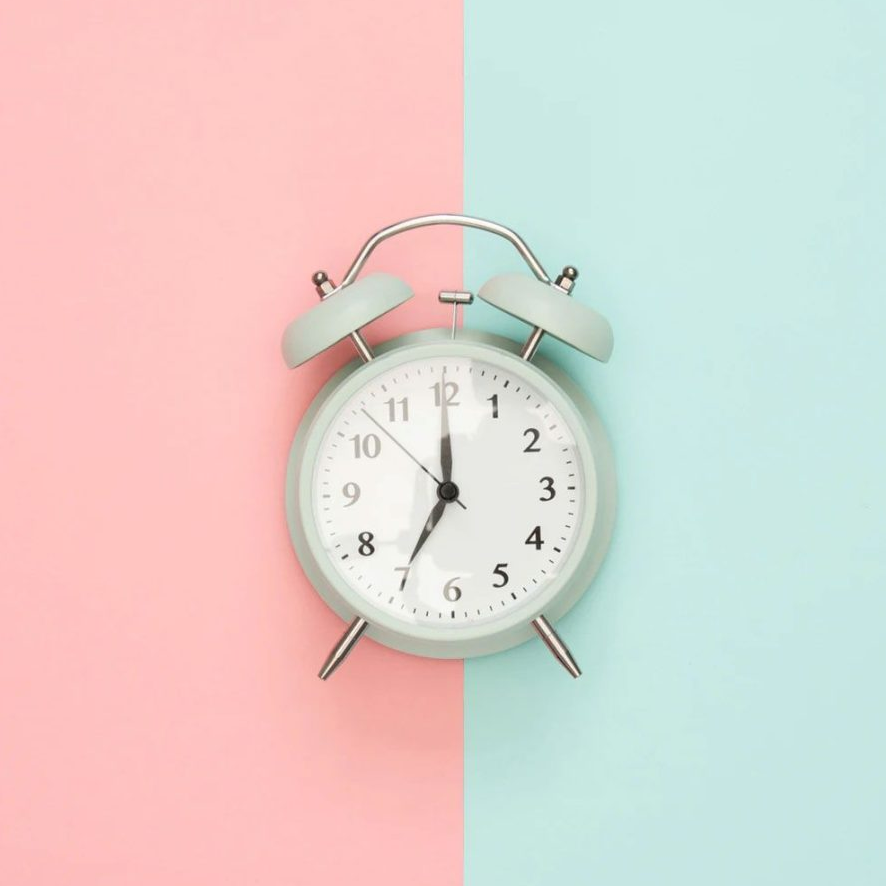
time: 7:00
